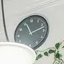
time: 11:12
